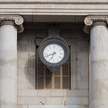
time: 6:41
